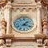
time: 1:18
